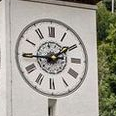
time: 1:44
